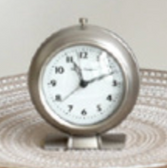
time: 11:11
